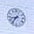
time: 8:36
